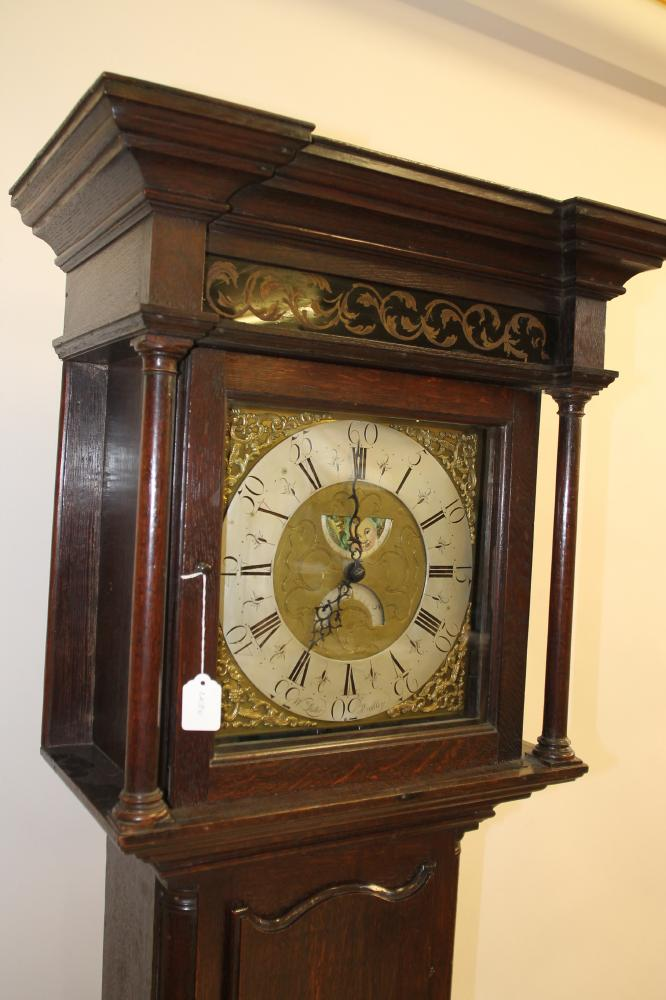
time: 7:00
